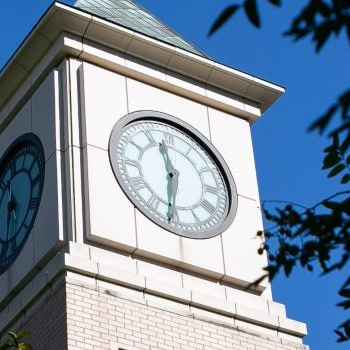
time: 11:31
